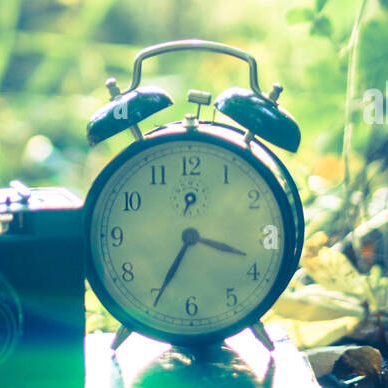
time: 3:34
